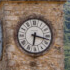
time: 6:17
